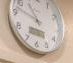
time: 10:47
